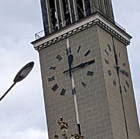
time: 12:14
